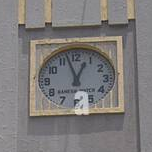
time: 12:57
